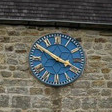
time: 3:50
